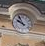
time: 9:55
